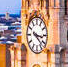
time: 3:22
